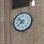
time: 7:52
